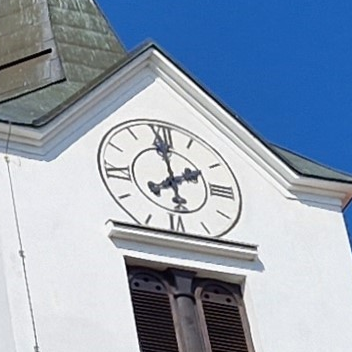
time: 1:59
